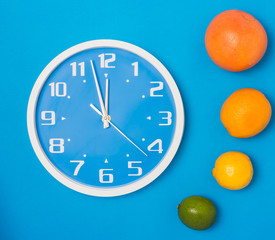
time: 11:57
